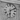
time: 6:10
